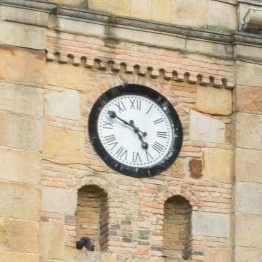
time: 4:50
